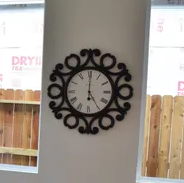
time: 5:00
